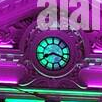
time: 8:18
